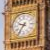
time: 9:36
